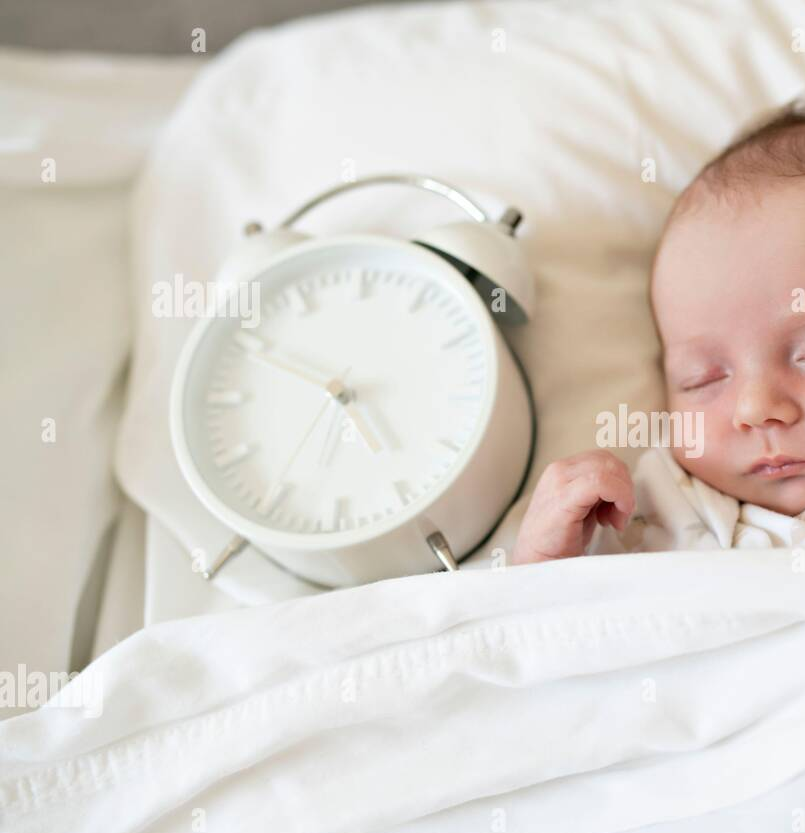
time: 4:49
